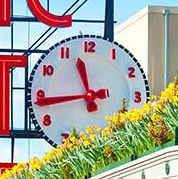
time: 11:43
